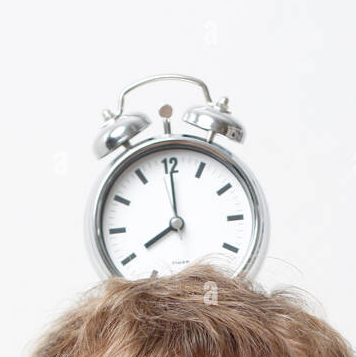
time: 8:00
